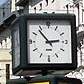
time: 2:53
